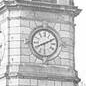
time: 8:11
